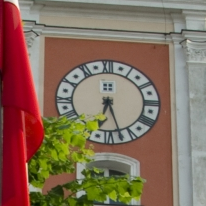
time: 6:26
